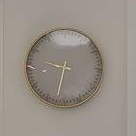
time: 9:32
